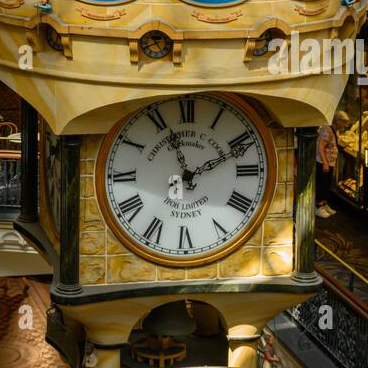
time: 11:10
